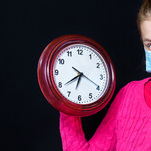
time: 6:39
